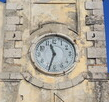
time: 11:33
